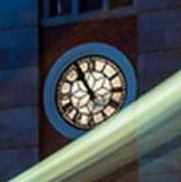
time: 10:55
